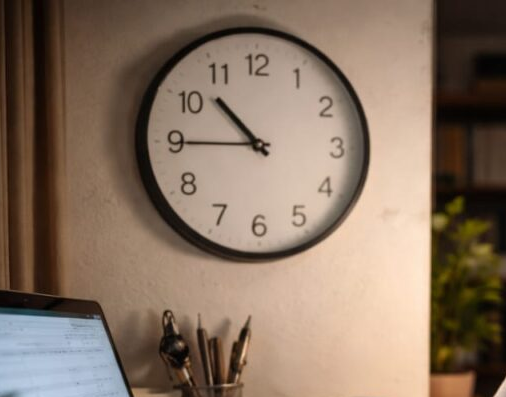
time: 10:45
